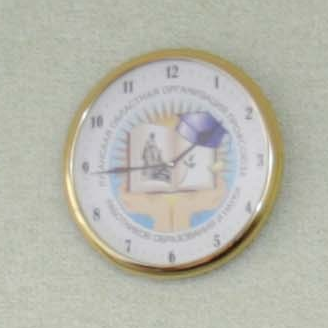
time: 1:44
